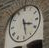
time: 3:28
